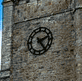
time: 2:23
